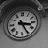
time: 3:25
